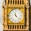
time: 11:22
